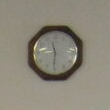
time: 11:30
